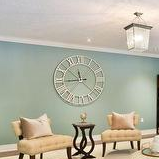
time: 11:44
